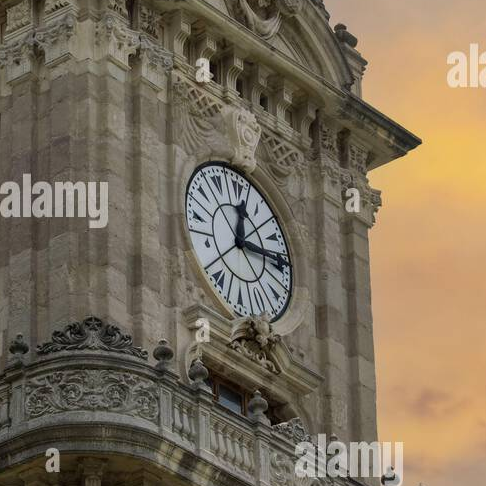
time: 12:14
